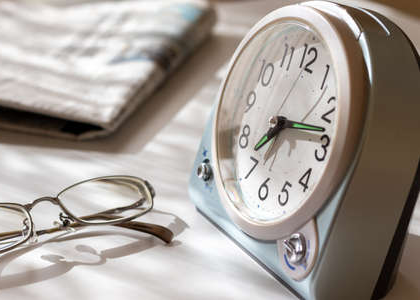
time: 7:13
